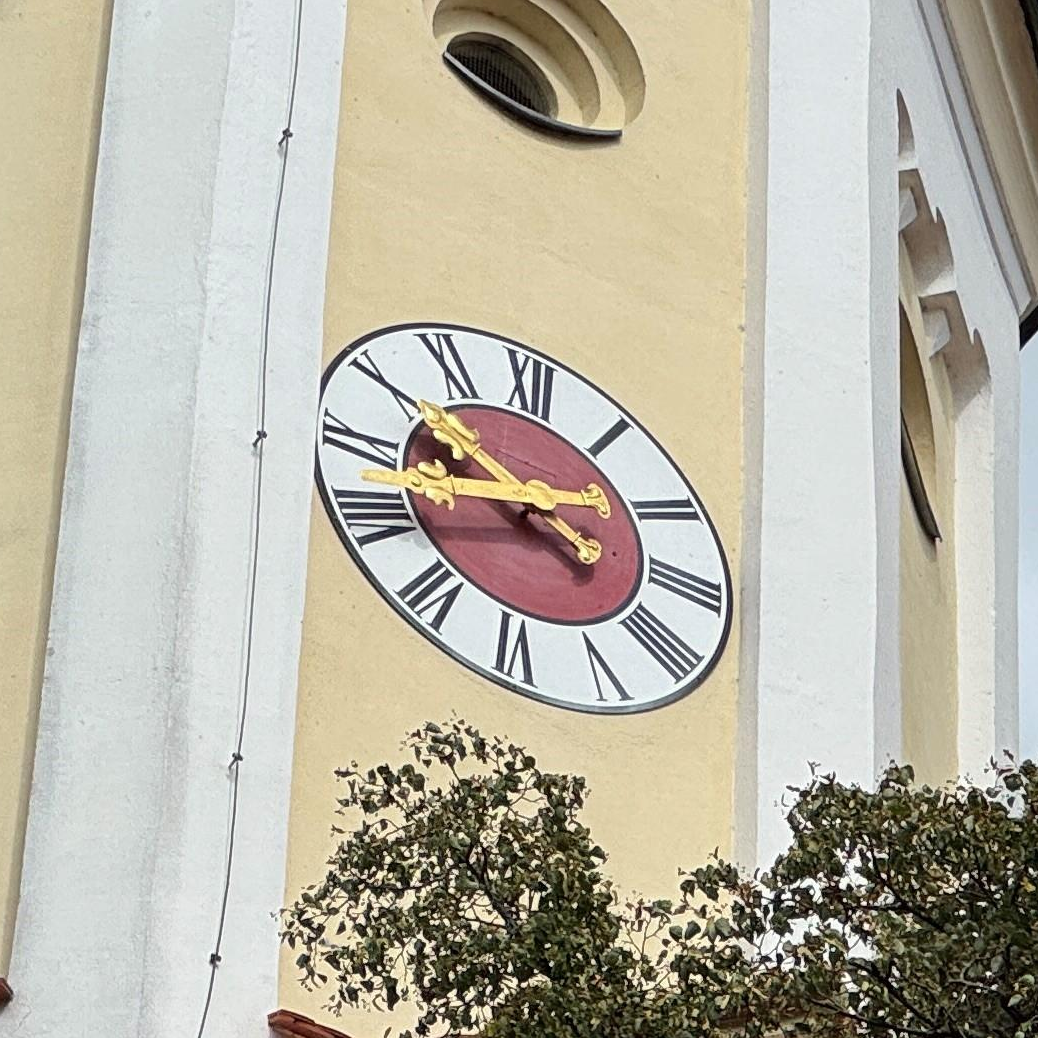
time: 9:42
